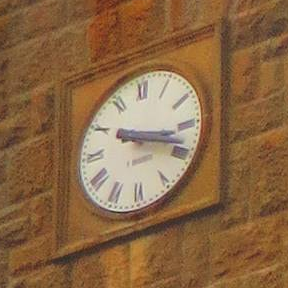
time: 3:18
